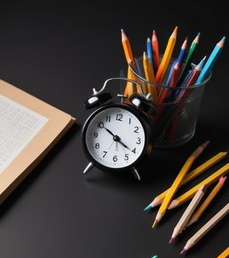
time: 10:20
